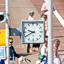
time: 9:40
